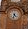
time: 4:32
